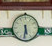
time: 5:31
